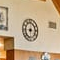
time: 9:01
